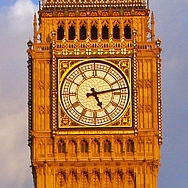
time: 5:13
